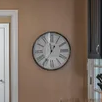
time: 12:58
